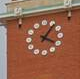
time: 4:06
